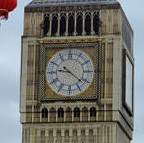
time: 9:21
